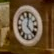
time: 12:22
